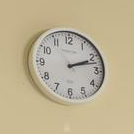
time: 2:11
